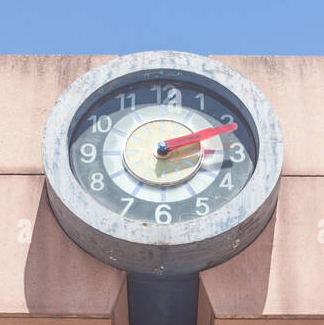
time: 2:10
